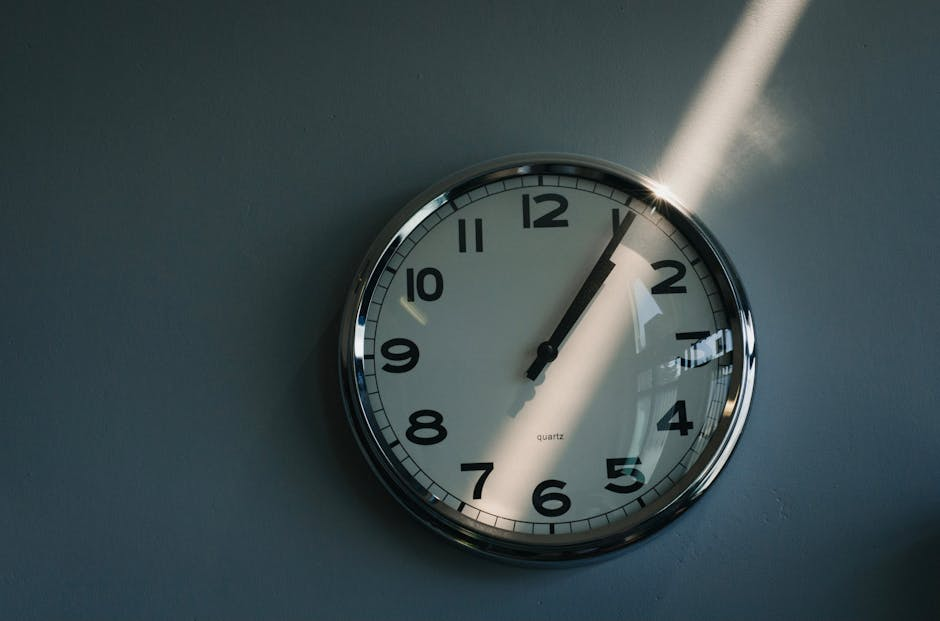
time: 1:05
